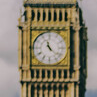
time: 11:22
